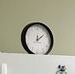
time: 12:08
